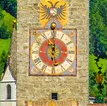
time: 5:59
